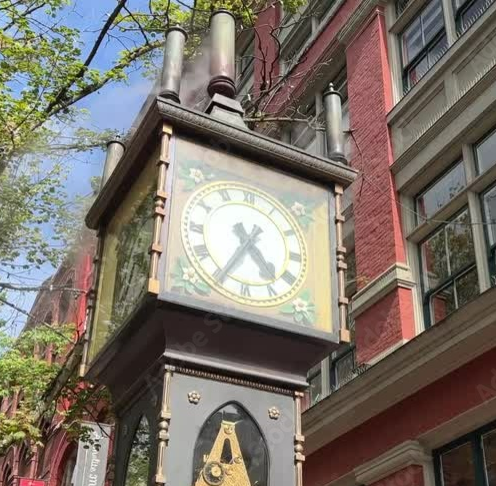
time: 4:34
